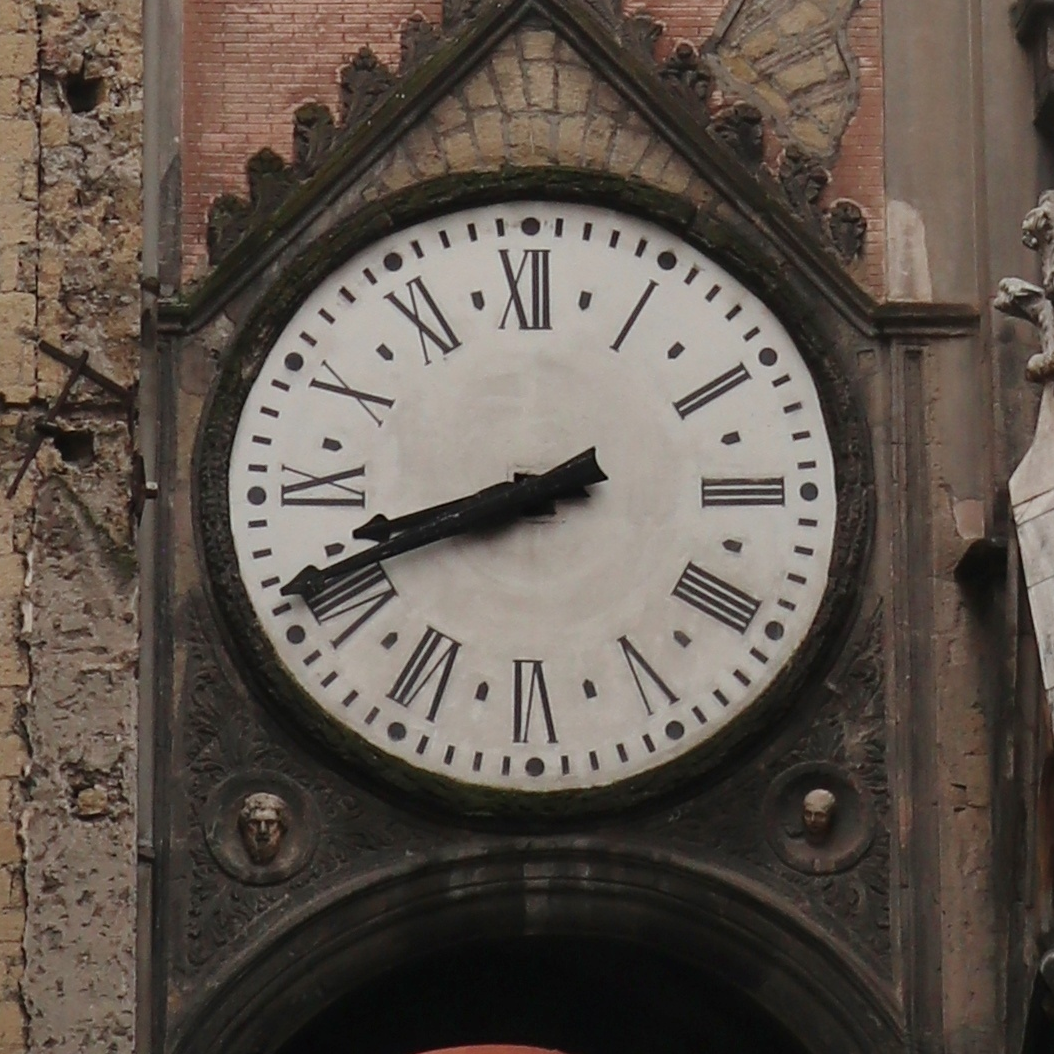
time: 8:41
